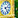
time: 2:24
